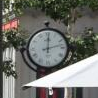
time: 12:12
